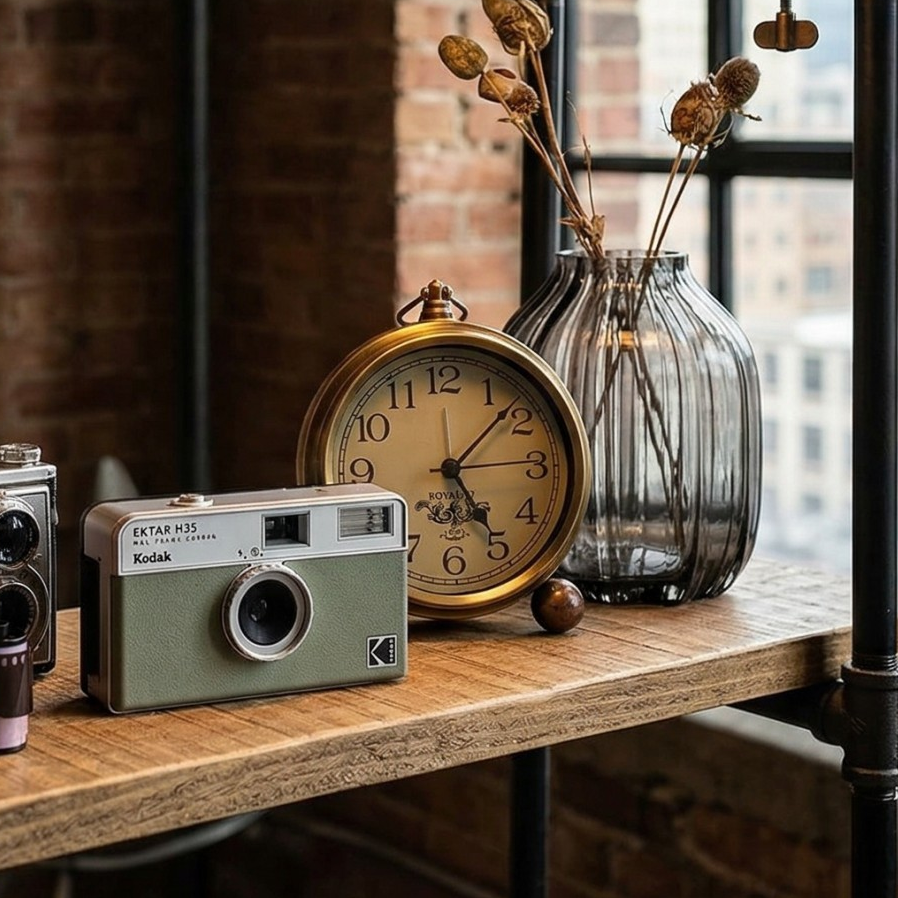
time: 5:07
